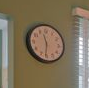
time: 11:31
